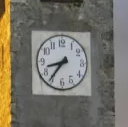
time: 8:36
